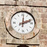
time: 12:11
